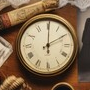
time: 2:00
